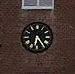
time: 6:24
